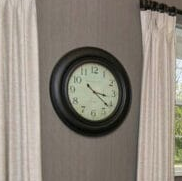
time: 3:21
